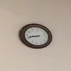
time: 8:42
